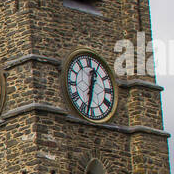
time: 12:32
